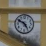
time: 4:50
